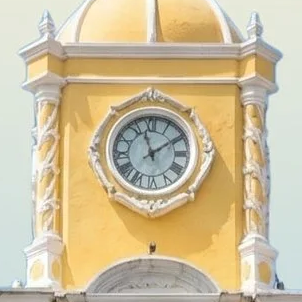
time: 1:57
